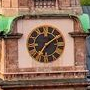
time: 7:08
